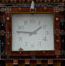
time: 1:46
